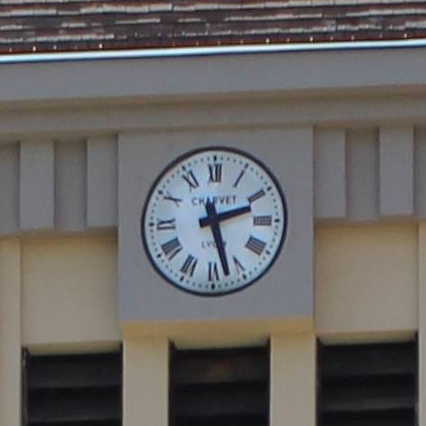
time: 2:27
